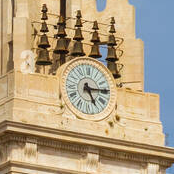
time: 5:14
